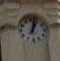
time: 1:02
